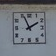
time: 1:56
